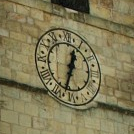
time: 12:33
